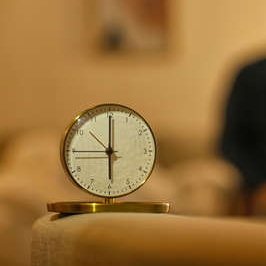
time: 5:59
